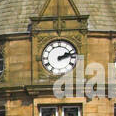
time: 2:12
